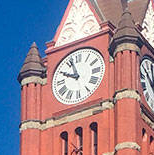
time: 9:56
